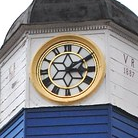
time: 3:09
